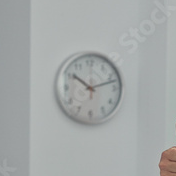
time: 10:12
